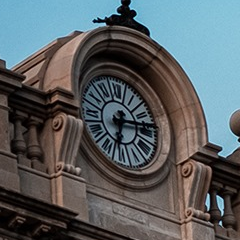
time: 6:14
